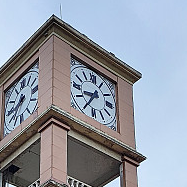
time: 8:35
